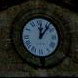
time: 12:06
